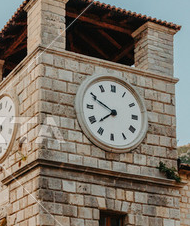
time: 7:49
